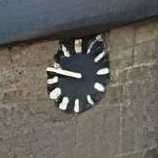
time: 9:47
